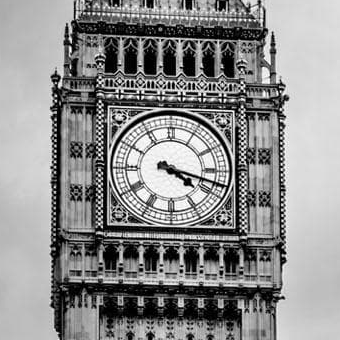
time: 4:17
